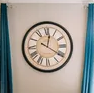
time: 12:20
